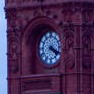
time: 4:18
